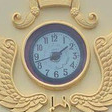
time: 1:42
